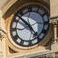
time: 10:23
